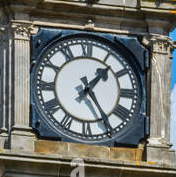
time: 1:24
